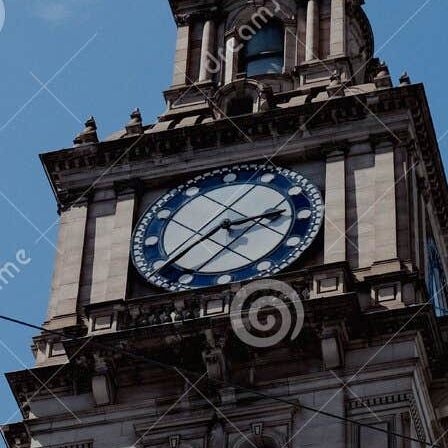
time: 2:39
